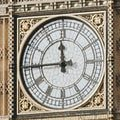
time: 11:44
